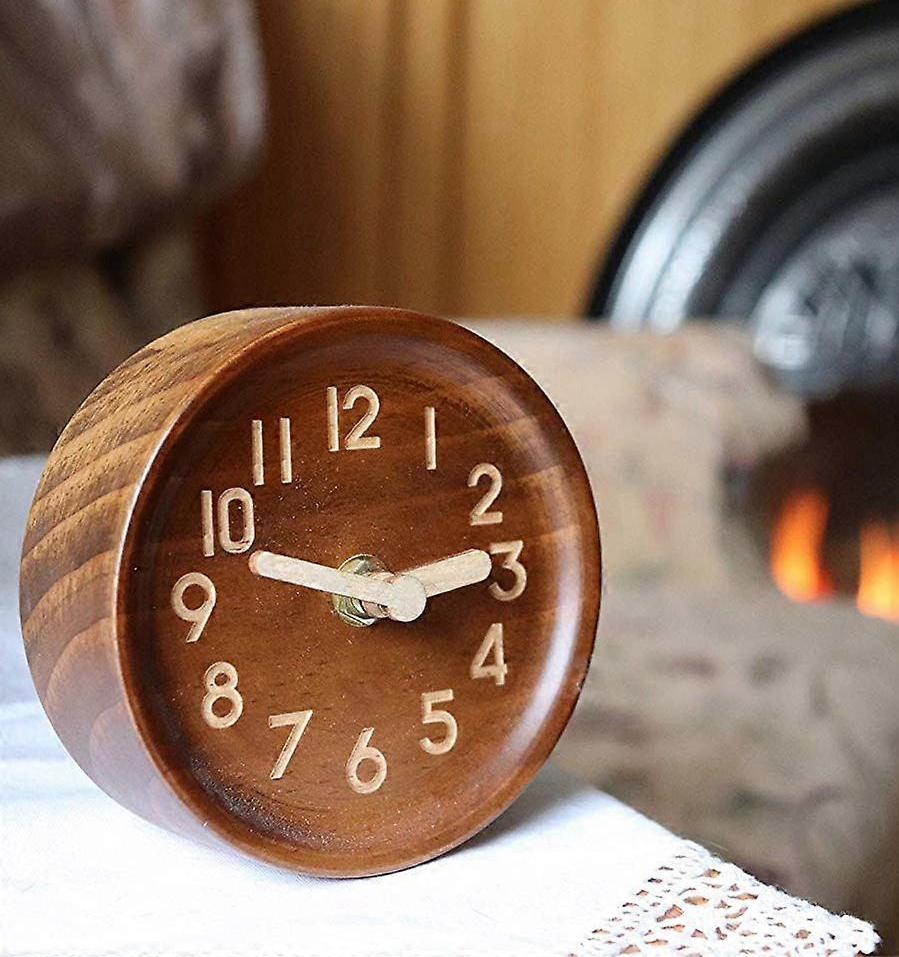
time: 2:48
